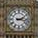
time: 2:16
